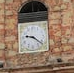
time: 9:21
